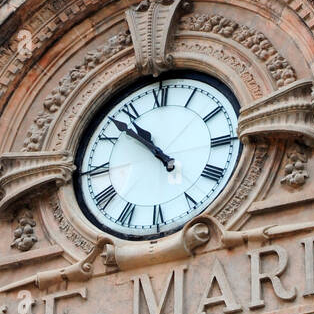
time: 10:52
